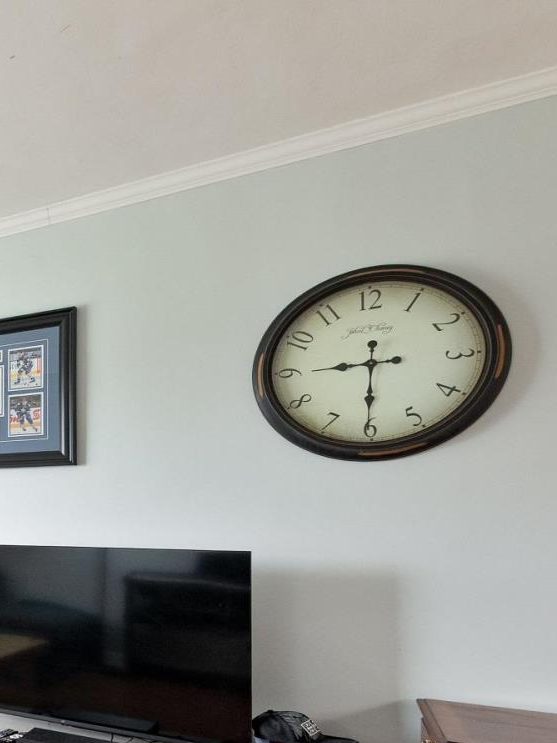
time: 8:30
